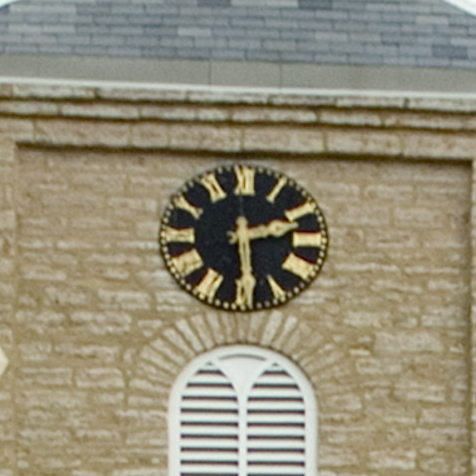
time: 2:29
